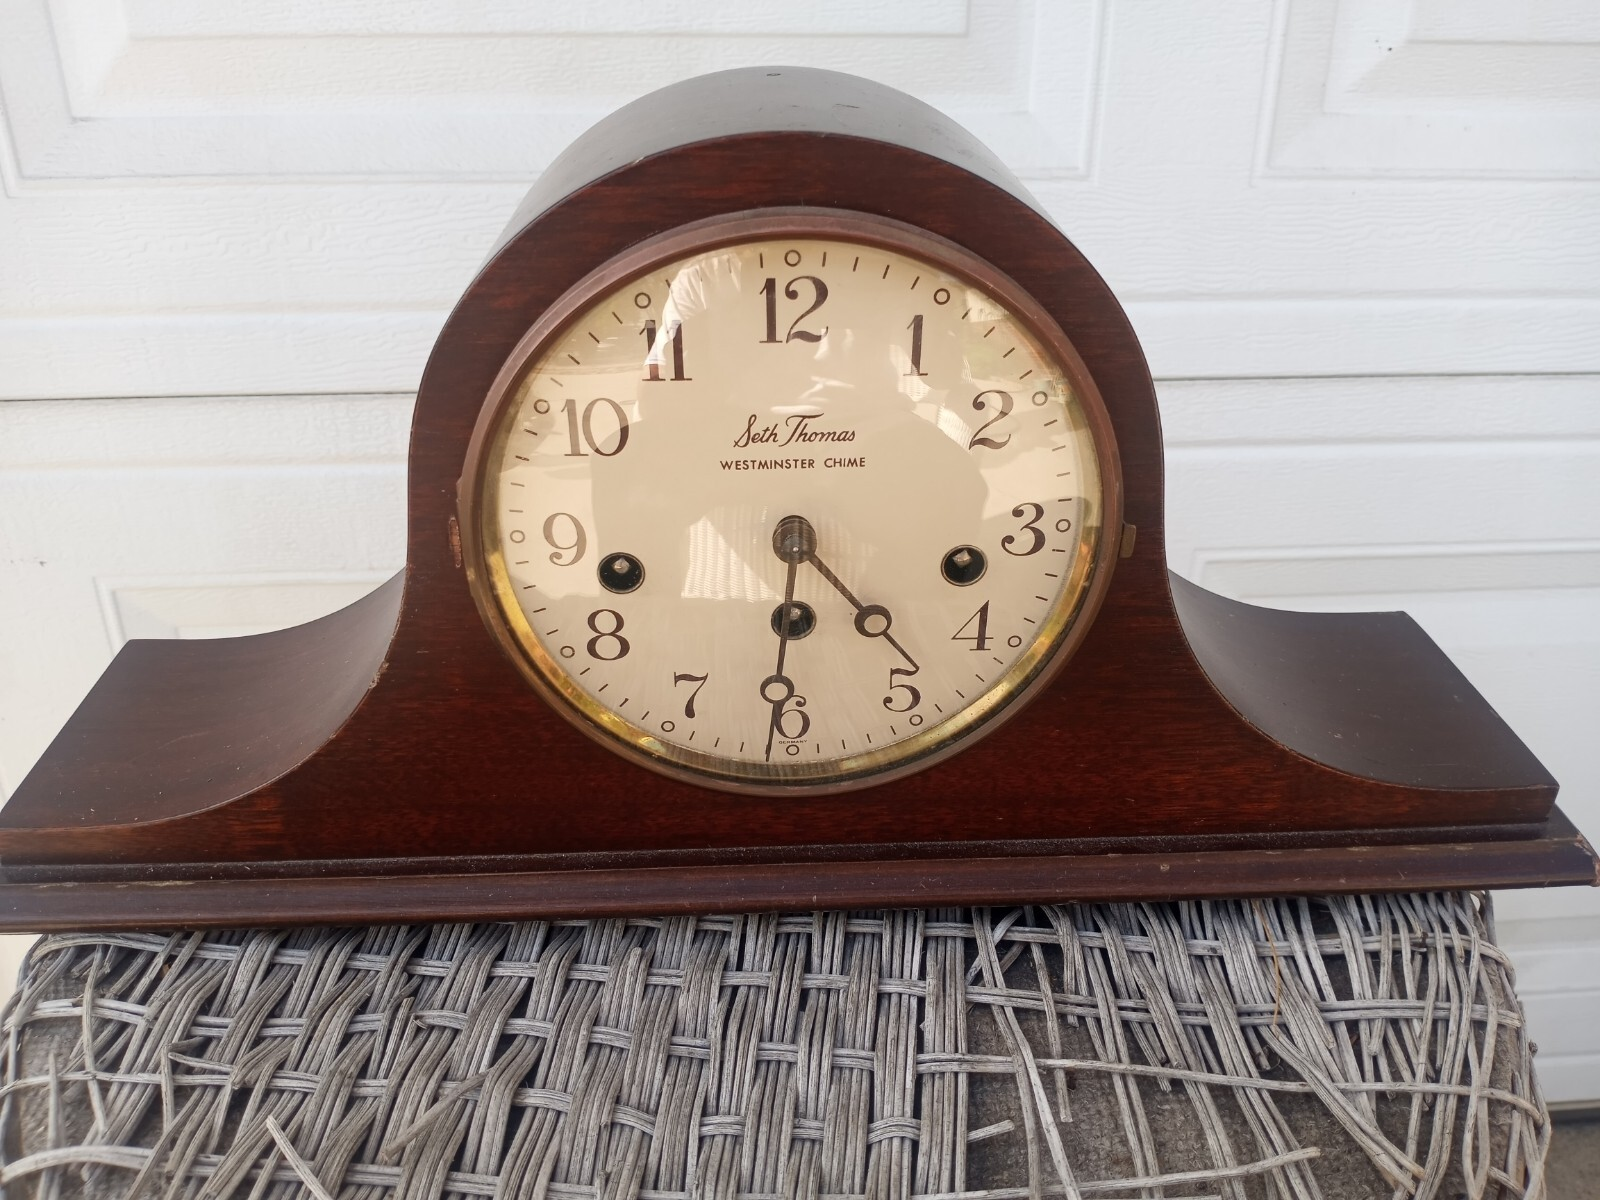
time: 4:31
